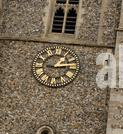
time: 9:13
